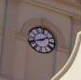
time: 1:41
